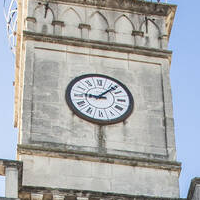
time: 9:07
